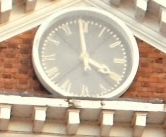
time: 3:58
